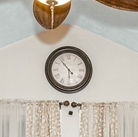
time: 5:53
